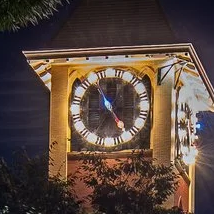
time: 4:22
